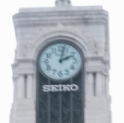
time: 2:01
